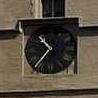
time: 10:36
